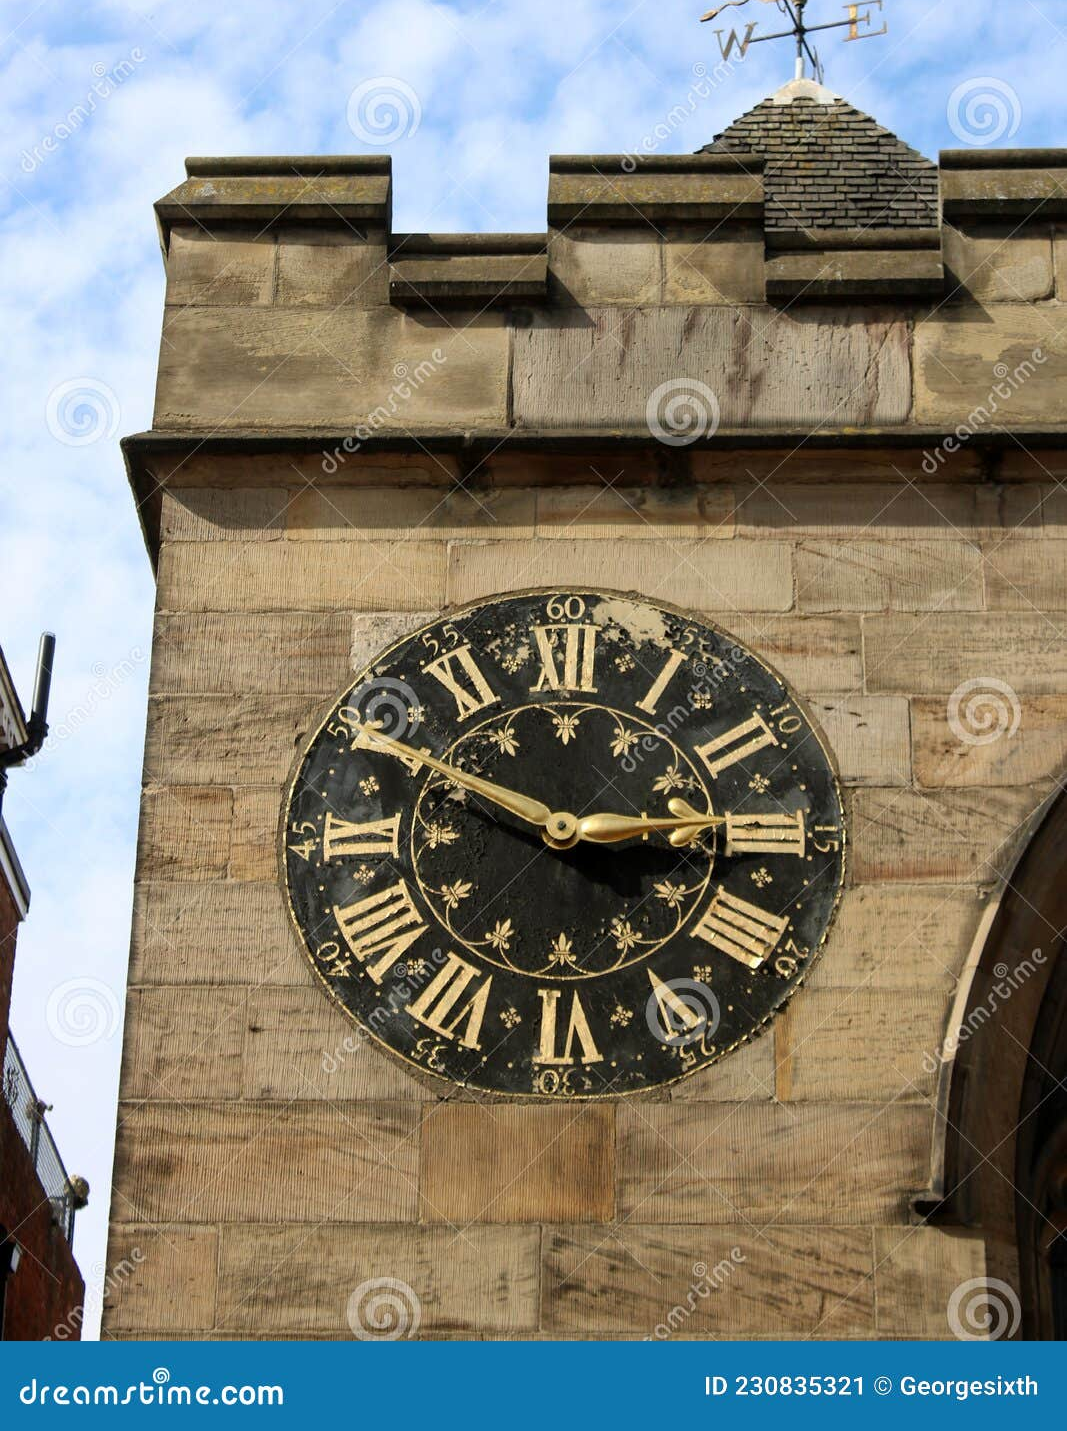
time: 2:49
